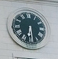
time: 6:29
